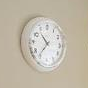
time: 10:36
